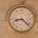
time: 8:22
